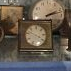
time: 3:47
